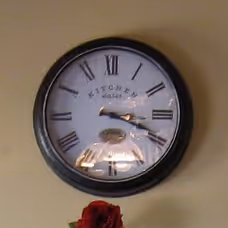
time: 3:18
